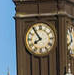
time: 7:53
